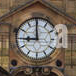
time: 8:59
